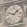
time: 1:47
